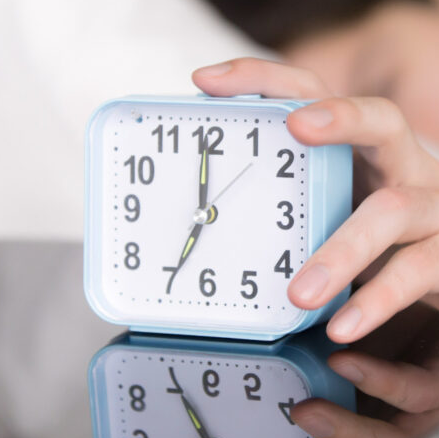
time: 6:59
